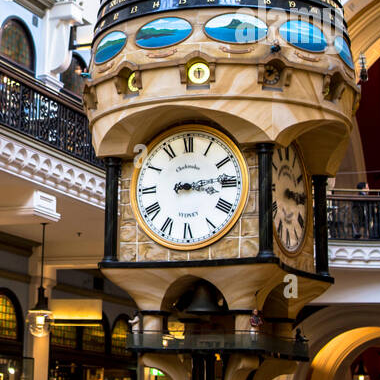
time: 3:13
